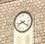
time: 8:21
